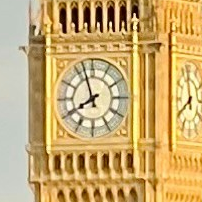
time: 7:56
